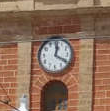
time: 12:19
